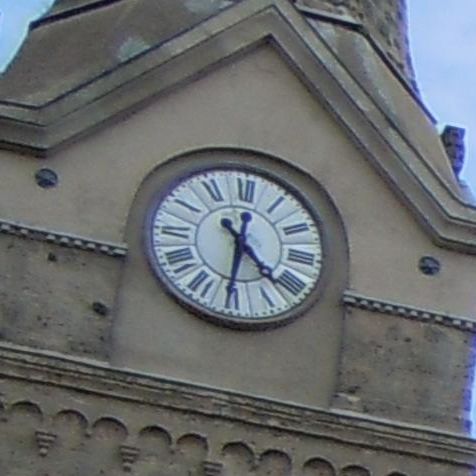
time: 4:31
